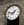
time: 1:47
